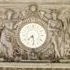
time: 7:28
